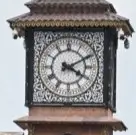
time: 4:10
